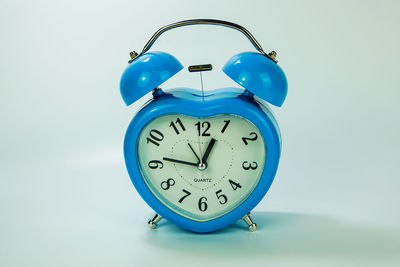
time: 12:46
